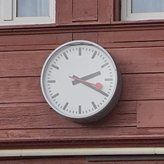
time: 2:18
